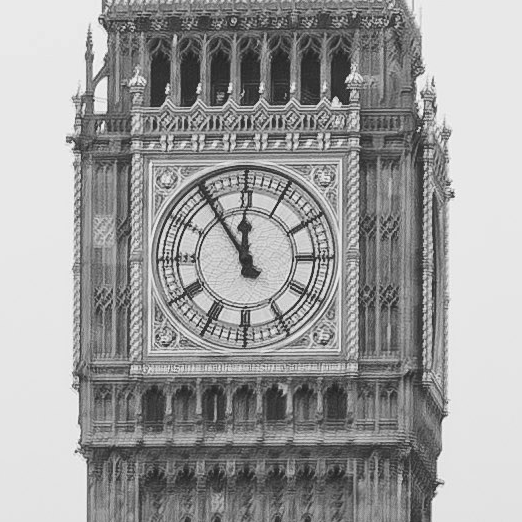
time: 11:54
